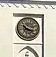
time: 10:17
